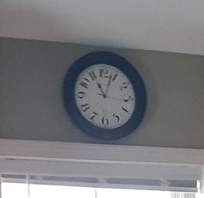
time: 11:03
